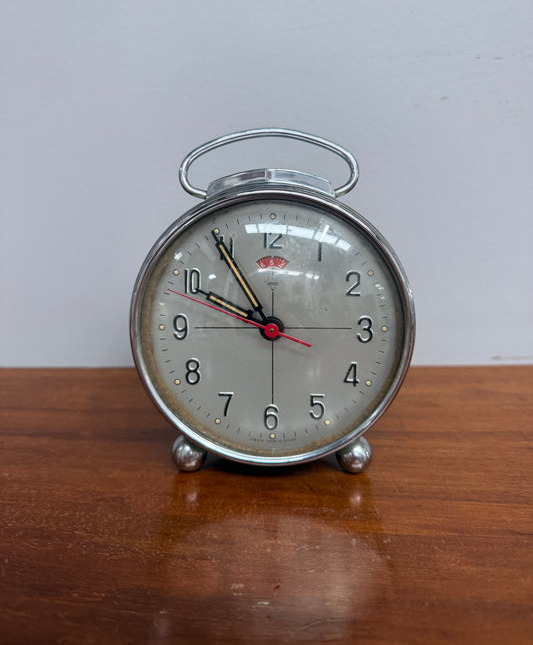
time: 9:54
